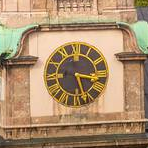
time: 5:16
